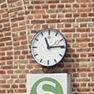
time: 11:13
